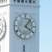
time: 1:20
